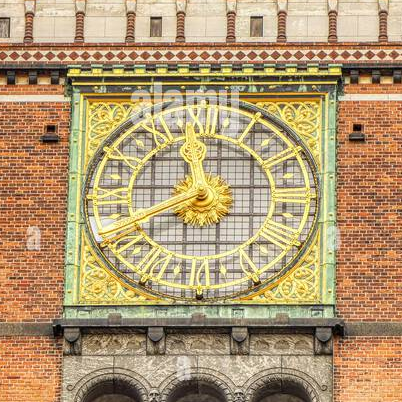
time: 11:41
